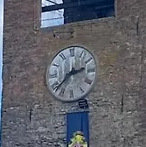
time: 2:38
